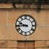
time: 9:44
